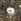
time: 8:27
